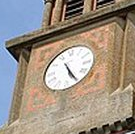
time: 5:25
